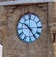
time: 10:24
